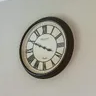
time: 3:49
